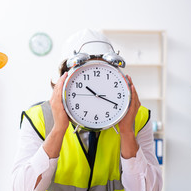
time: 10:18
